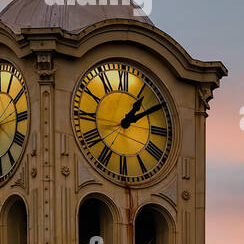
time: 1:09
